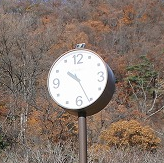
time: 10:26
